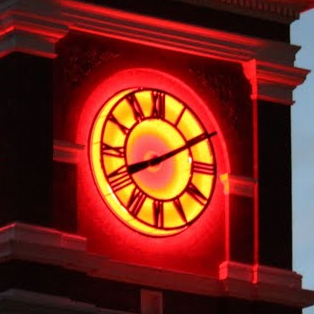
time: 8:10
